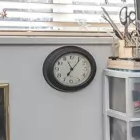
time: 7:06
